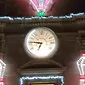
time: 6:46
